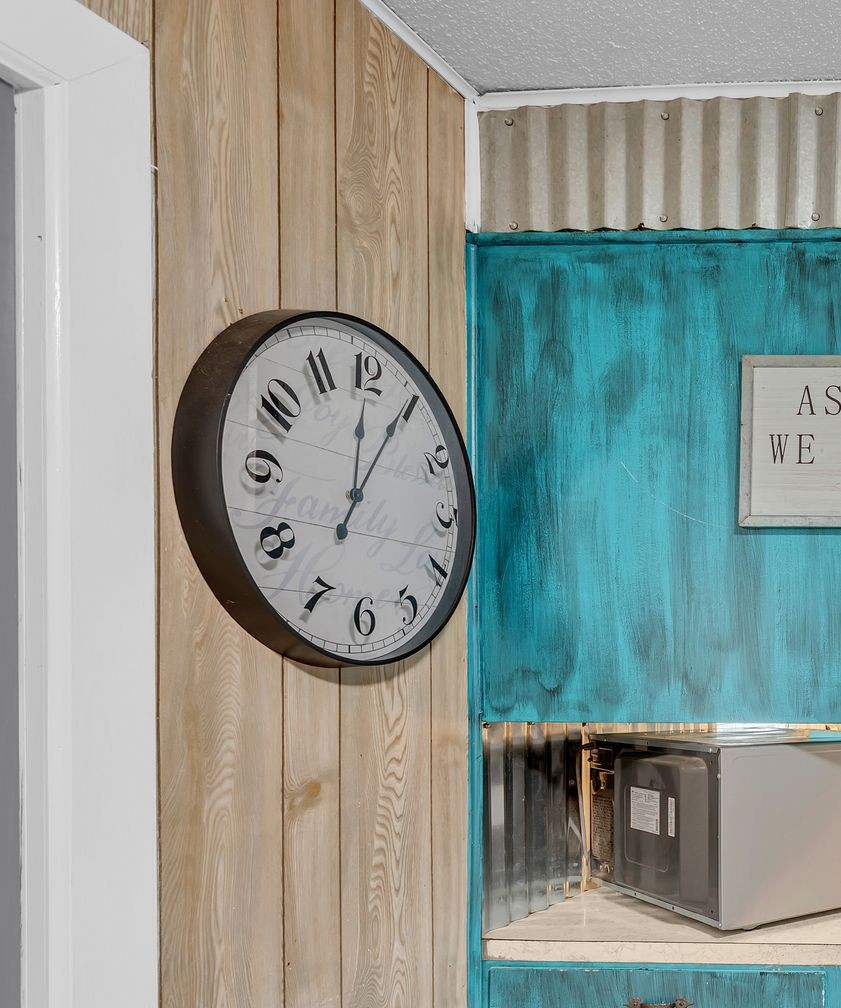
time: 12:04
